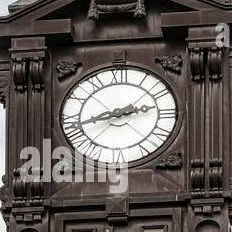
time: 2:42
